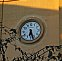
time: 6:26
